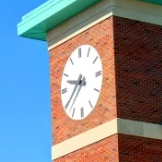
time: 9:39
